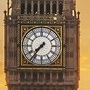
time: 7:36
